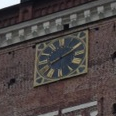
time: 8:11
